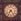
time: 7:23
